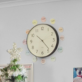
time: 10:23
